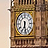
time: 6:28
